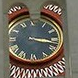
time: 3:17
